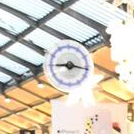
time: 9:16
